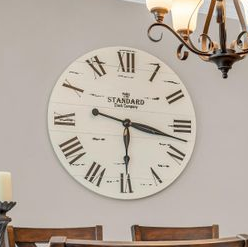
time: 3:29
